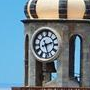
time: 2:27
